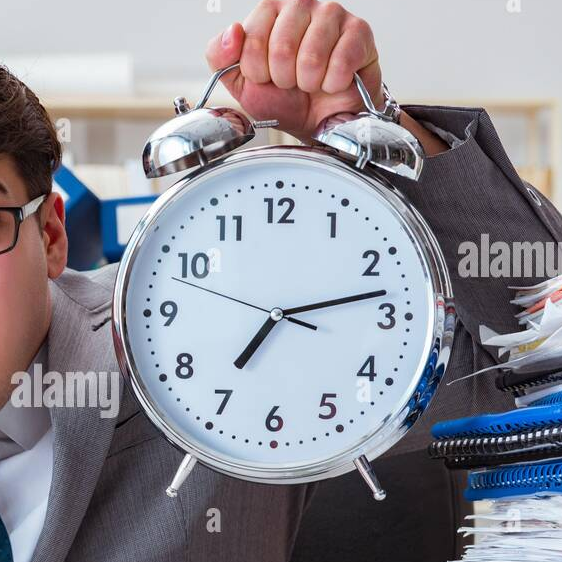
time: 7:12
